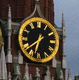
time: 7:32
